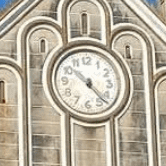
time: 10:22
